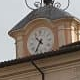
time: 10:35
